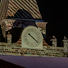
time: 10:21
